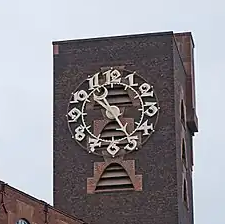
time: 10:24
